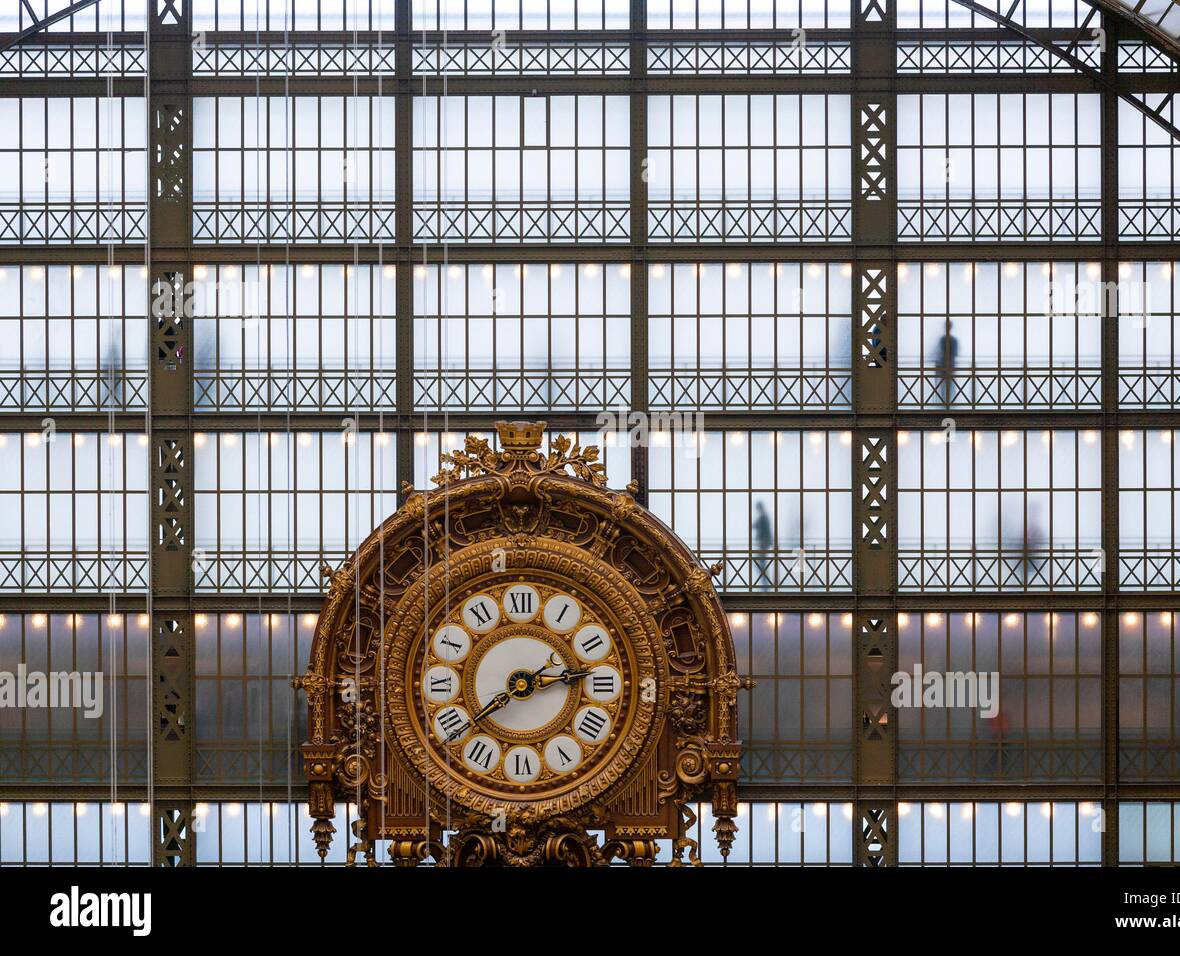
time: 2:38
